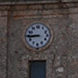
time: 8:45
